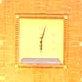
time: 6:02
